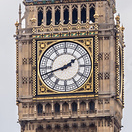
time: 1:42
